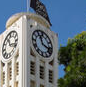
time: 11:17
